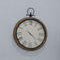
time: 4:22
